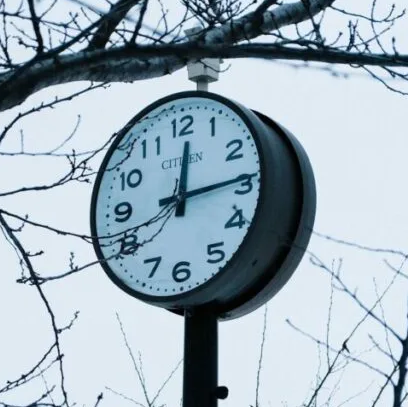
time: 12:14
